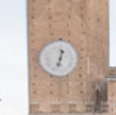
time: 12:32
